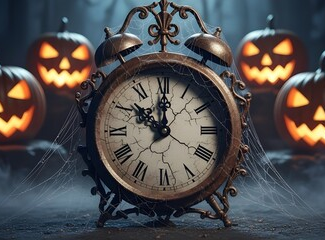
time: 10:00
